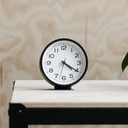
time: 4:20
